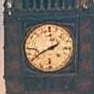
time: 11:40
